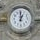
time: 12:59
